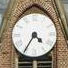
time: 4:35
